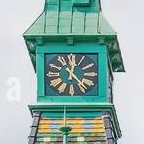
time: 12:23
